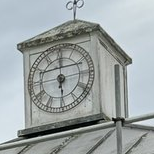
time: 6:00
